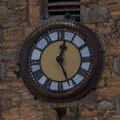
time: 12:26
